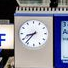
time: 8:37
